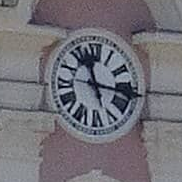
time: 11:16
